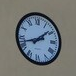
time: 1:42
